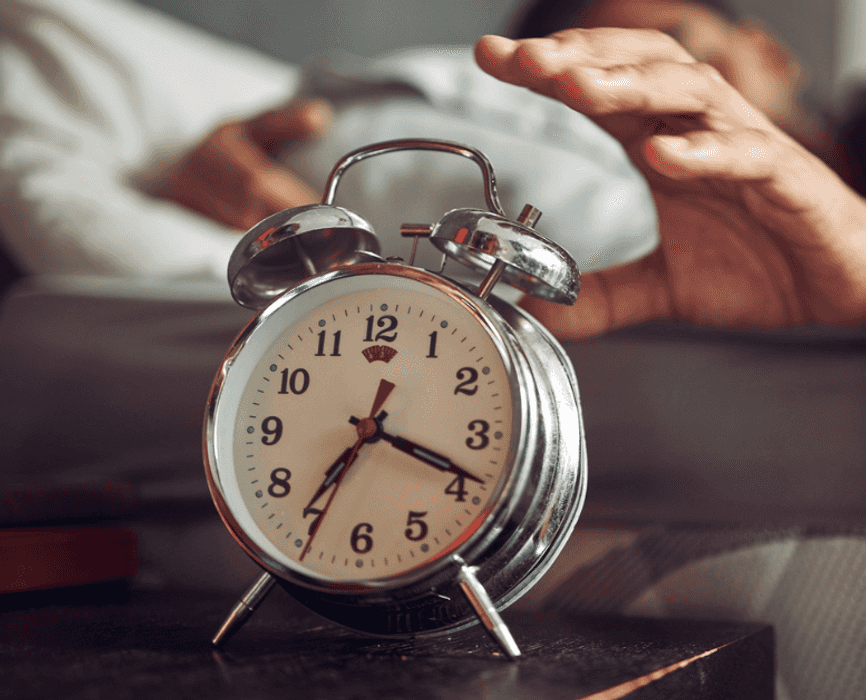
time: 7:18
